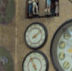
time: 8:09
